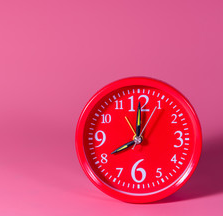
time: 8:00
